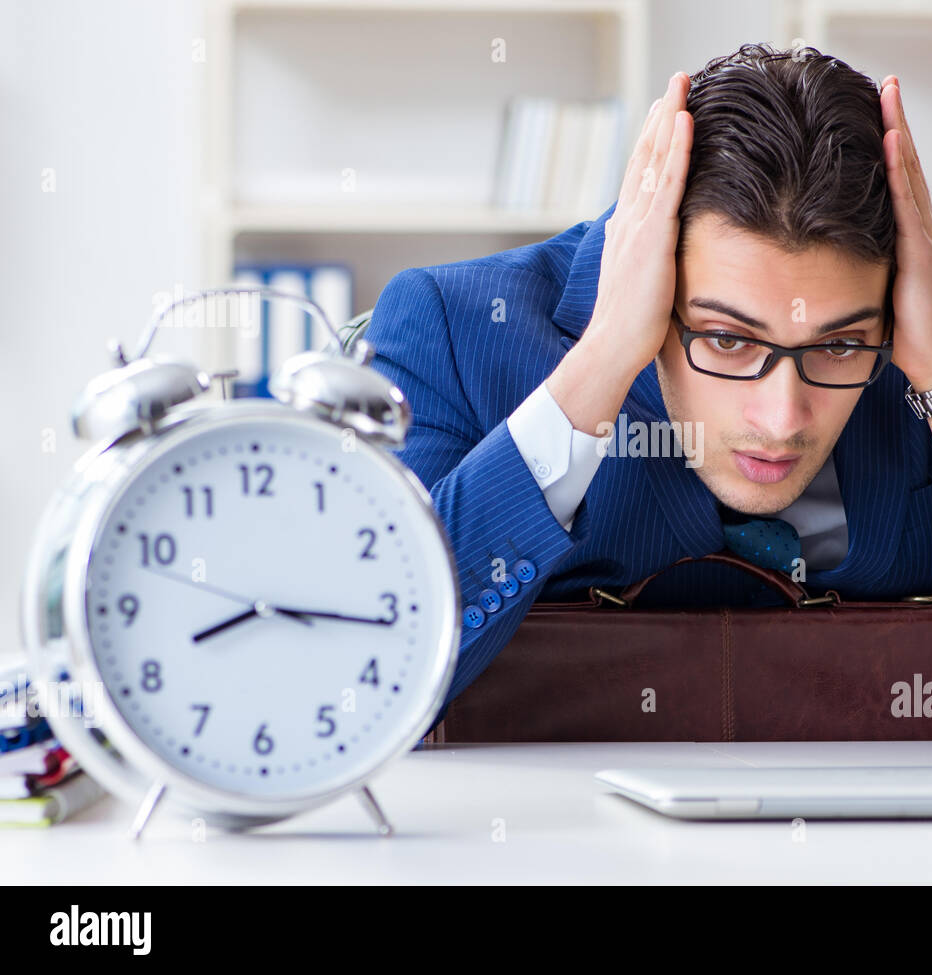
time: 8:16
